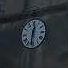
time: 12:30
